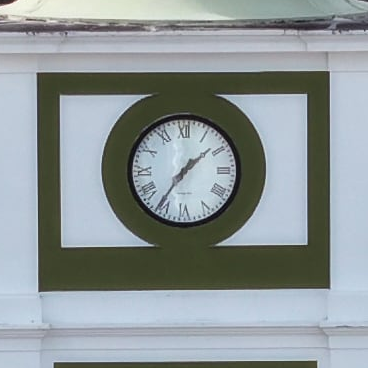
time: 1:35
